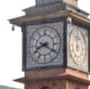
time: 8:20
